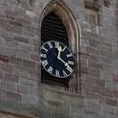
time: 12:20
